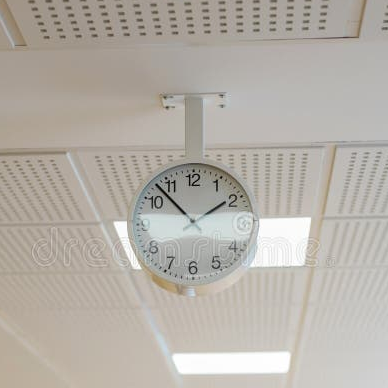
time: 1:53
